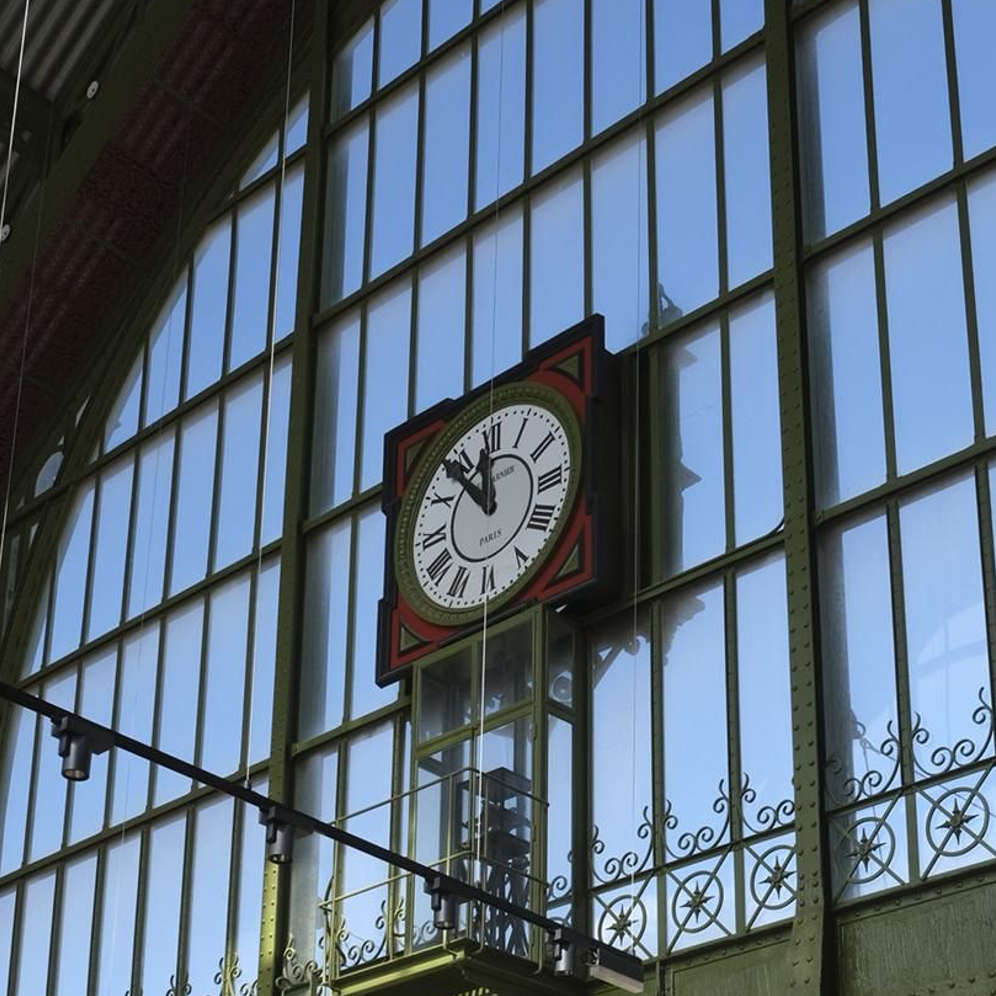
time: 11:53
